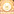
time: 8:27
